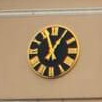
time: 12:57
